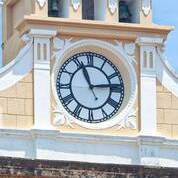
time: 11:13
